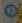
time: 11:32
